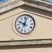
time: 10:02
